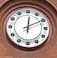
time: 12:10
